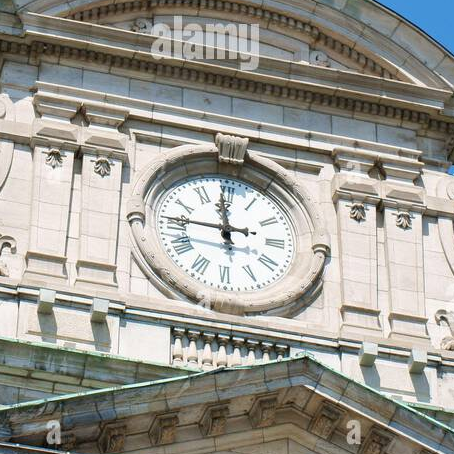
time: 11:45
